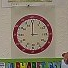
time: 2:59
